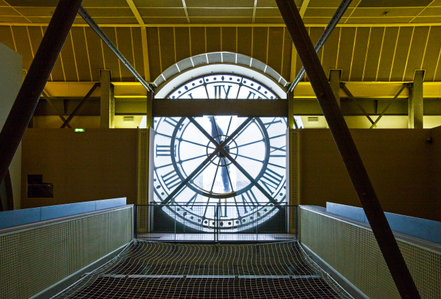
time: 1:37
